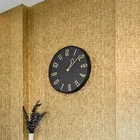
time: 1:08
